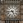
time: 4:43
